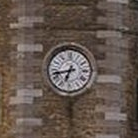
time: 6:42
